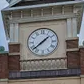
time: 1:38
